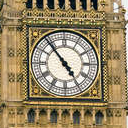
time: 4:53
